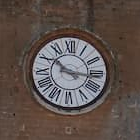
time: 10:16
